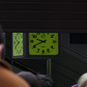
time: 9:41
